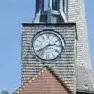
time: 2:40
